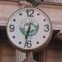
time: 6:32
